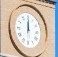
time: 12:00
